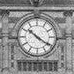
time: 10:20
